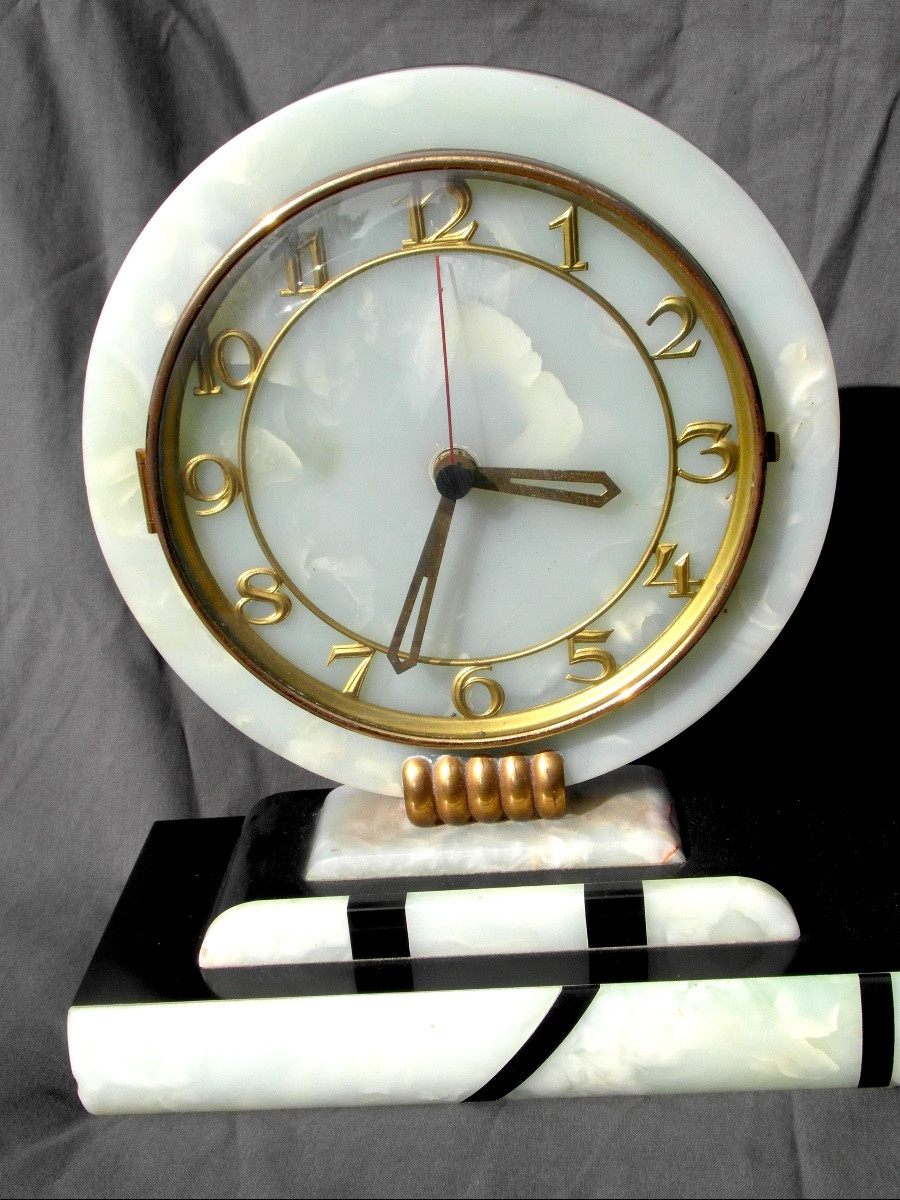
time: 3:33
